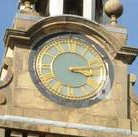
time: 3:13
